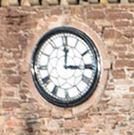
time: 3:00
